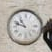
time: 10:48
